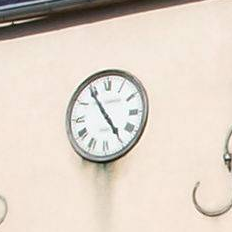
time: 4:54
